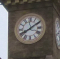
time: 8:09
